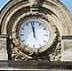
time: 11:58
